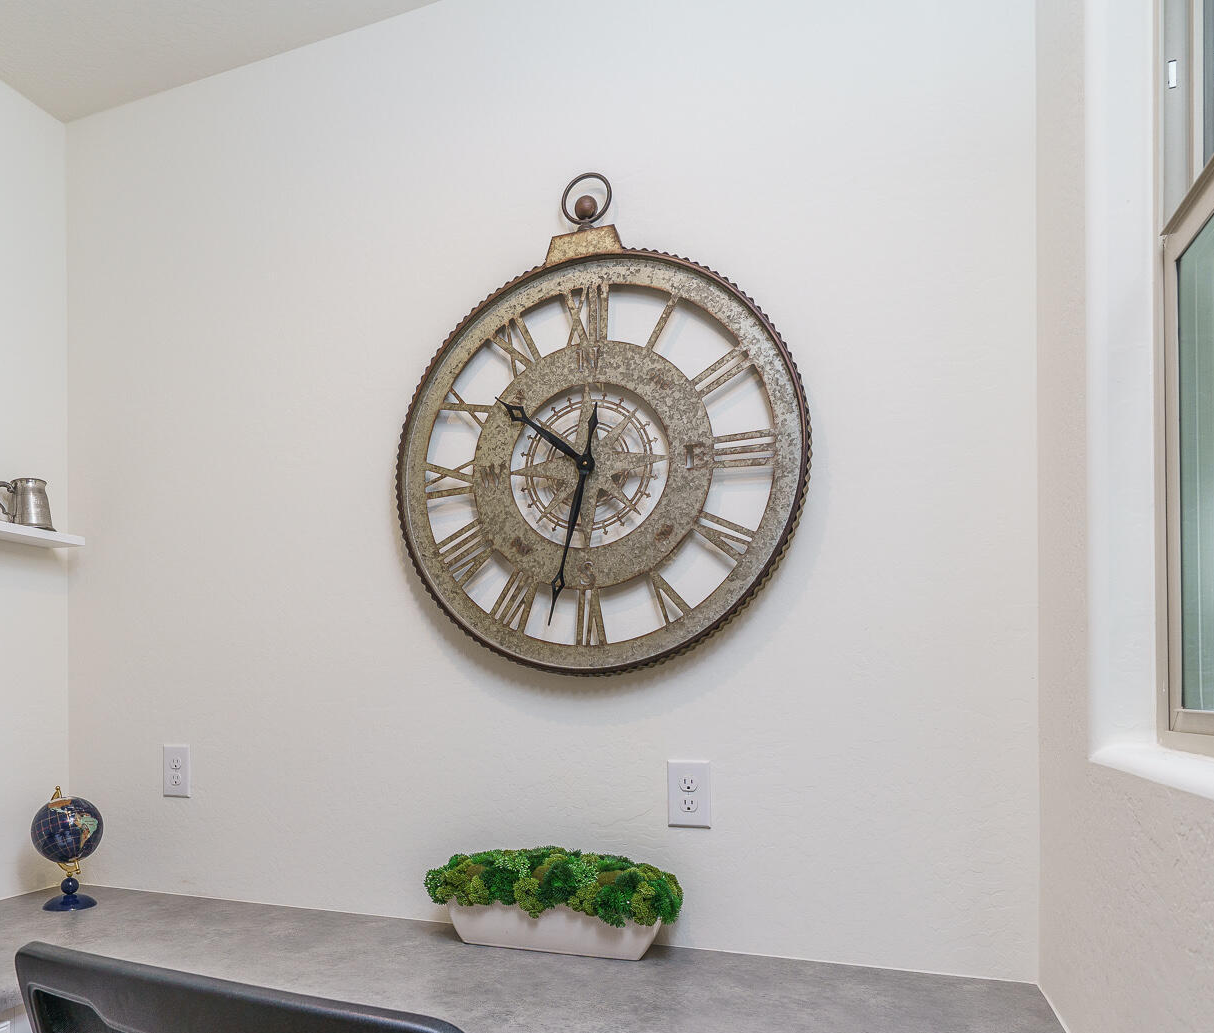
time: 10:32
